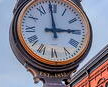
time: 2:58
